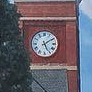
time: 5:09
